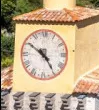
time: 4:50
